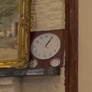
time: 1:05
